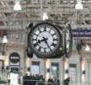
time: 8:25
